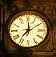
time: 12:09
